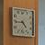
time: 4:44
